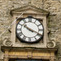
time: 10:18
